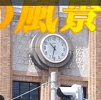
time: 10:32
